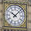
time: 10:07
